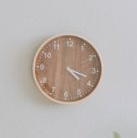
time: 4:18
